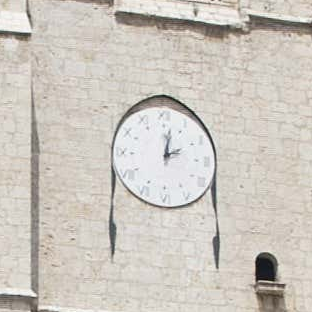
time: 2:01
